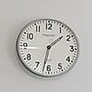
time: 1:31
